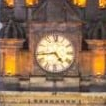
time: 4:43
